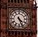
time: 4:26
